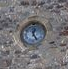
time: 12:24
